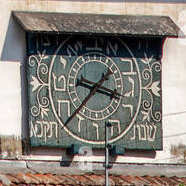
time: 3:37
